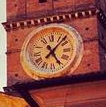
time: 5:06
